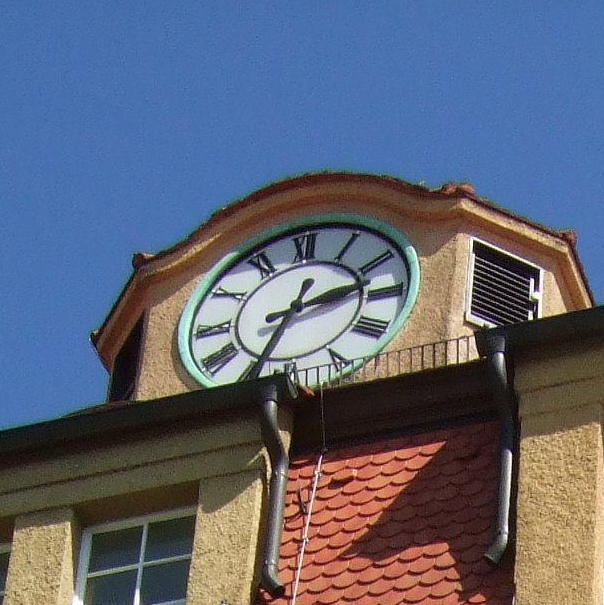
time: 2:34
